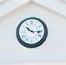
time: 10:15
